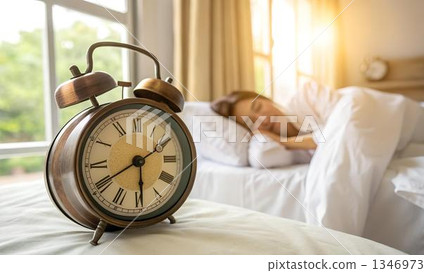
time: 5:40
